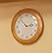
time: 2:52
